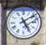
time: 5:09
